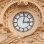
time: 3:01
